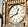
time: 12:41
